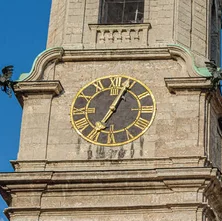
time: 7:04
